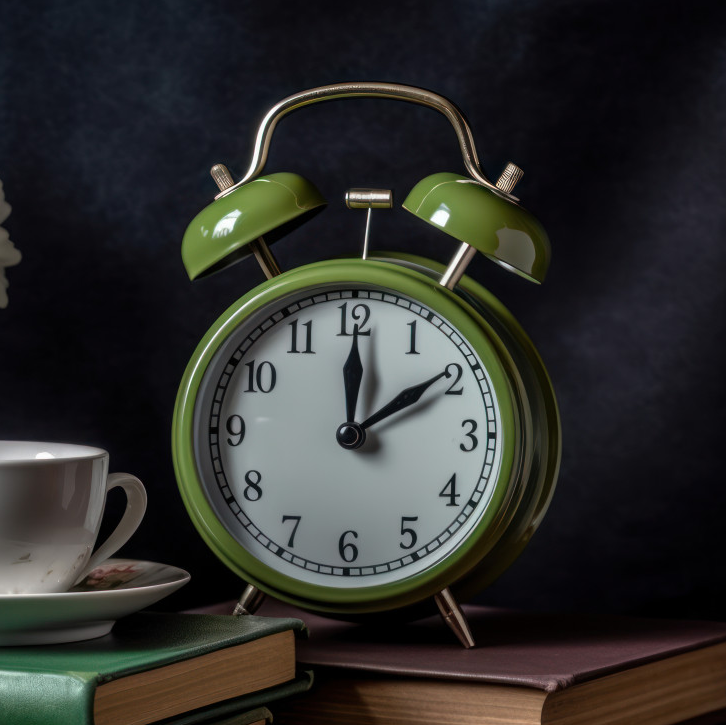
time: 12:09
